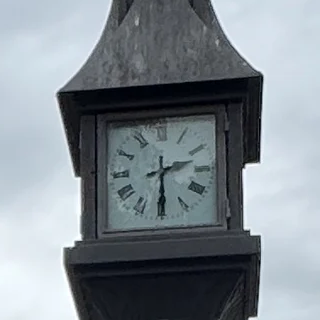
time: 2:29
